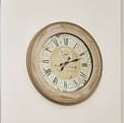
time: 7:11
